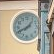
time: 1:41
